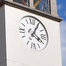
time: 4:04
